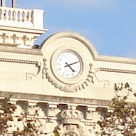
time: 4:11
